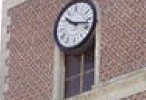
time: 10:17
